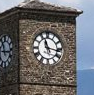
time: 11:16
